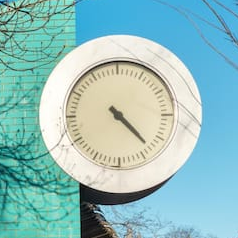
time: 4:22
